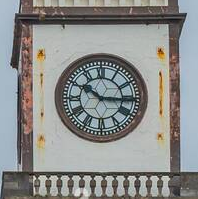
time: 10:15
